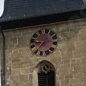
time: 8:35
